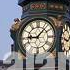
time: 9:07
